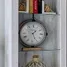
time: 1:26
